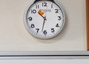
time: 10:32
